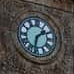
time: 1:32
